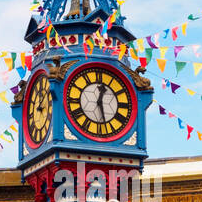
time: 12:27
